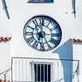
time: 11:32
